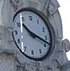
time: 10:18
